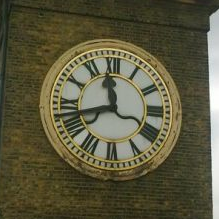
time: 11:42
